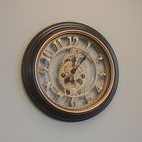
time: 12:06
